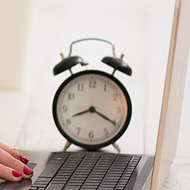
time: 8:20
